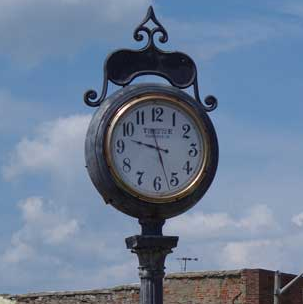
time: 9:27
